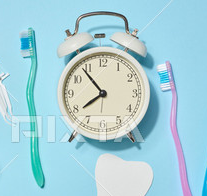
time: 7:53
